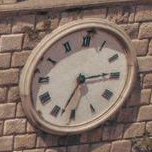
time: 2:33
